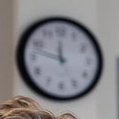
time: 11:47
